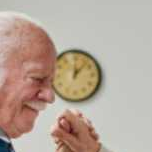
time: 12:06
